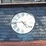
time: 4:44
